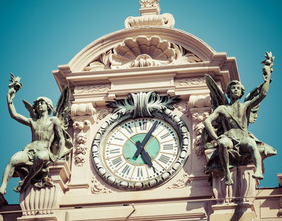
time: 5:04
